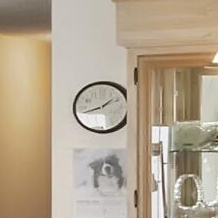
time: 1:42
